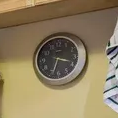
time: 3:33
